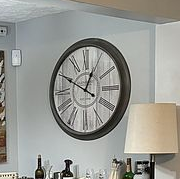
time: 12:49
